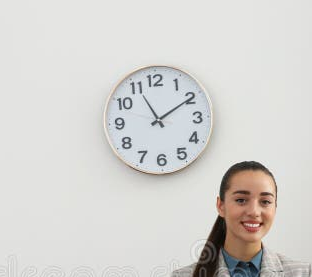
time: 11:09
